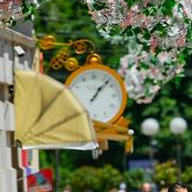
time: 1:07
